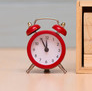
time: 11:55
